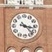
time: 3:22
